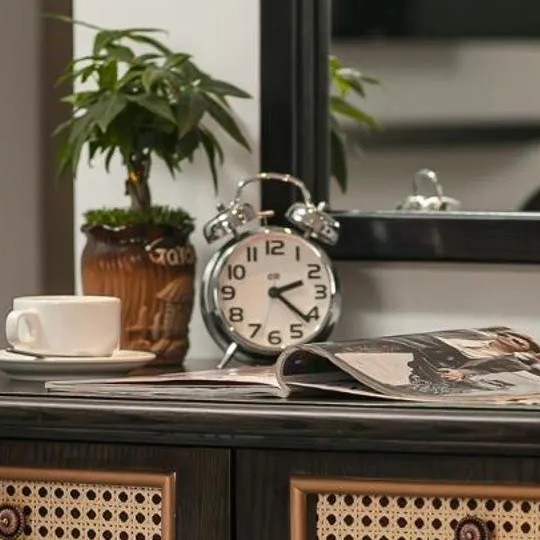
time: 2:21
